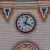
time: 4:02
